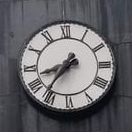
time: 8:36
